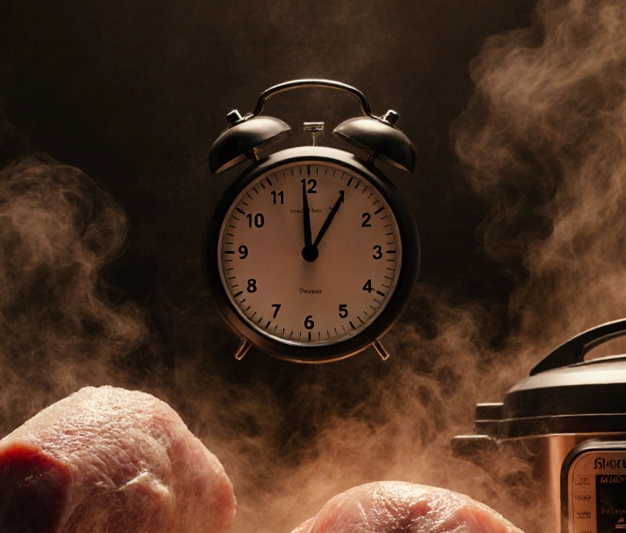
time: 12:05
